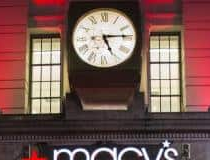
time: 5:14
